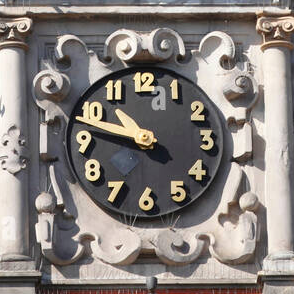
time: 10:47
